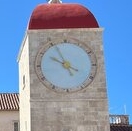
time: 9:55
